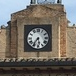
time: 5:35
